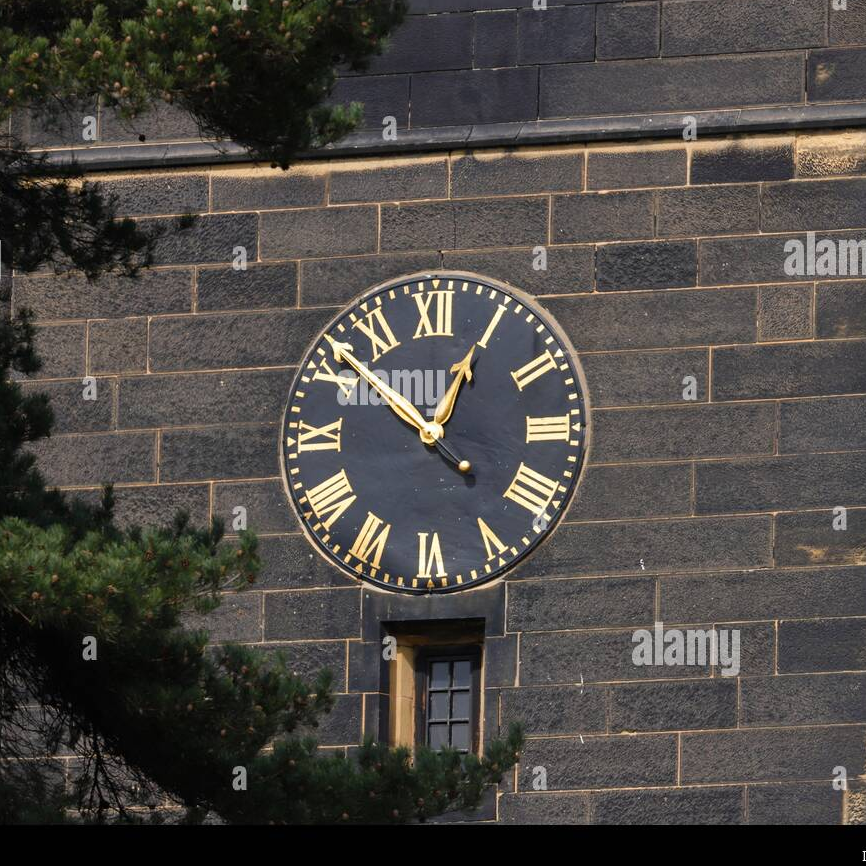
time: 12:52
